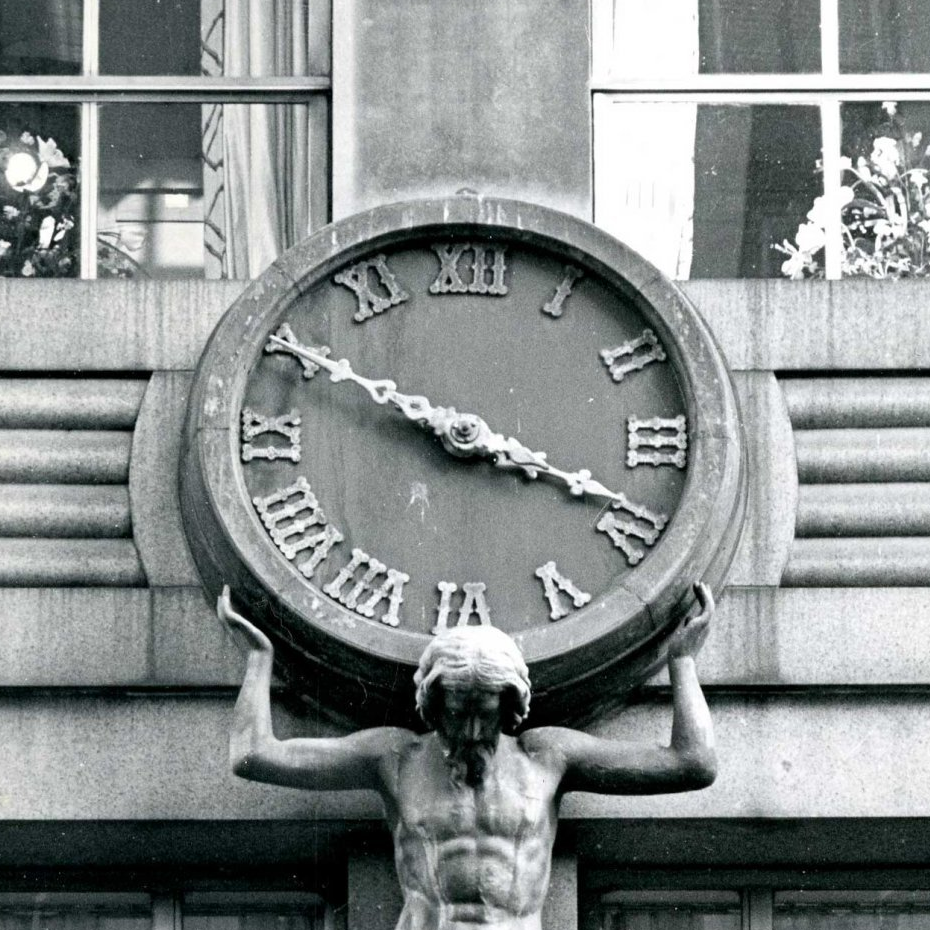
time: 3:50
